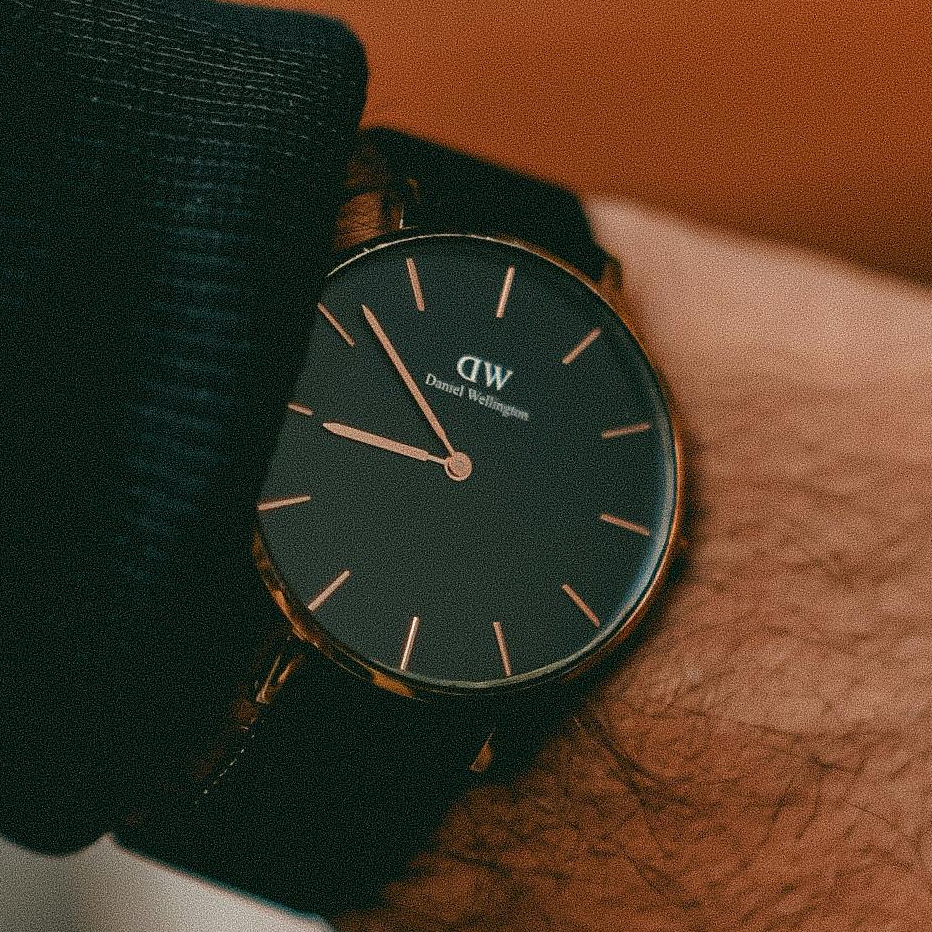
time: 8:51
